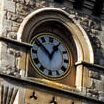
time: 12:52
